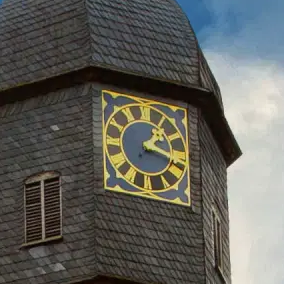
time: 1:18
